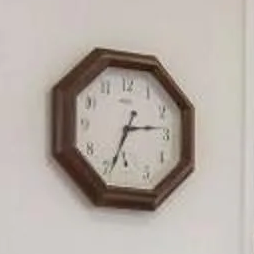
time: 2:33
